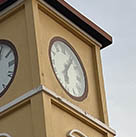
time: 6:06
